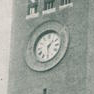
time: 1:28
